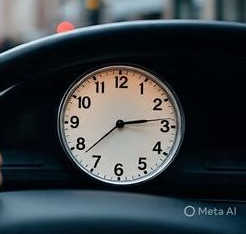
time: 2:38
